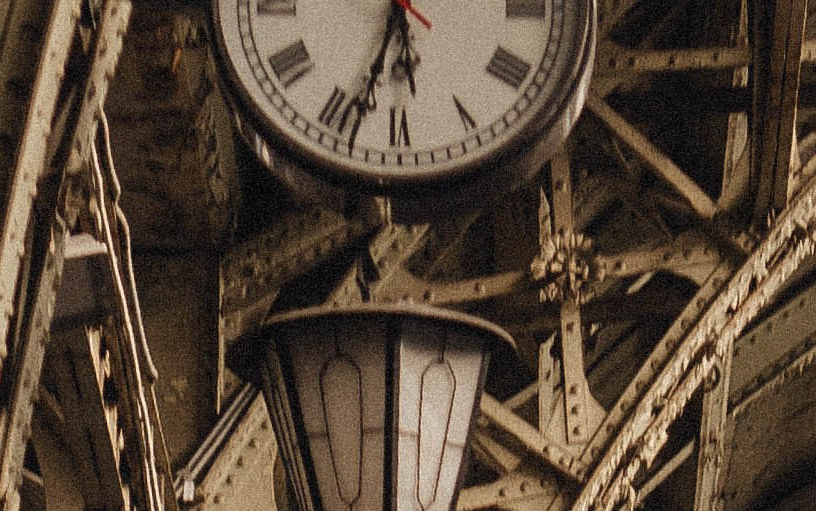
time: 5:33
